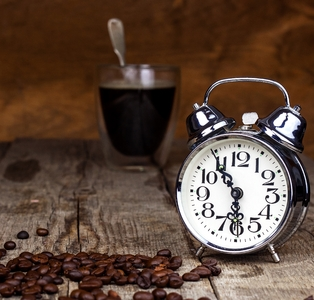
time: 5:54
